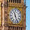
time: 11:26
